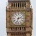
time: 2:33
